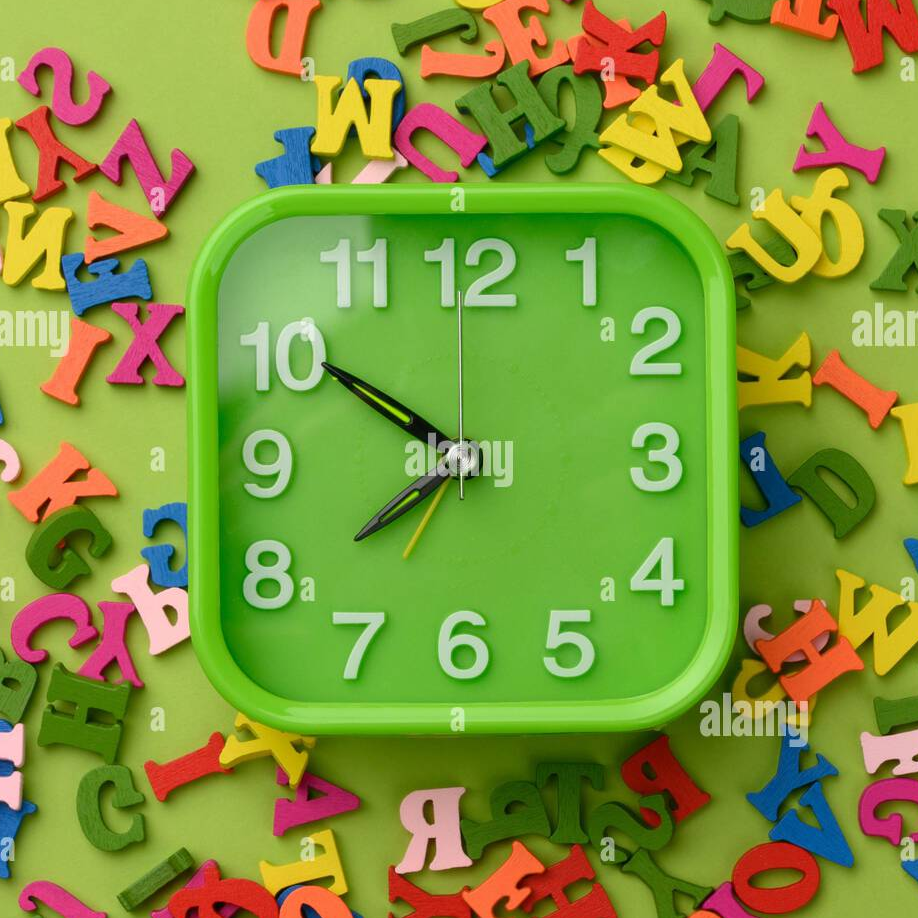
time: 7:50
